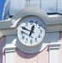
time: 12:49
